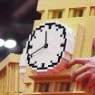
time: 11:40
